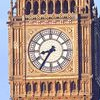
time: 8:35
